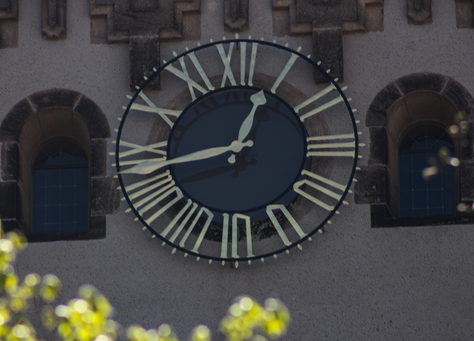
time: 12:43
